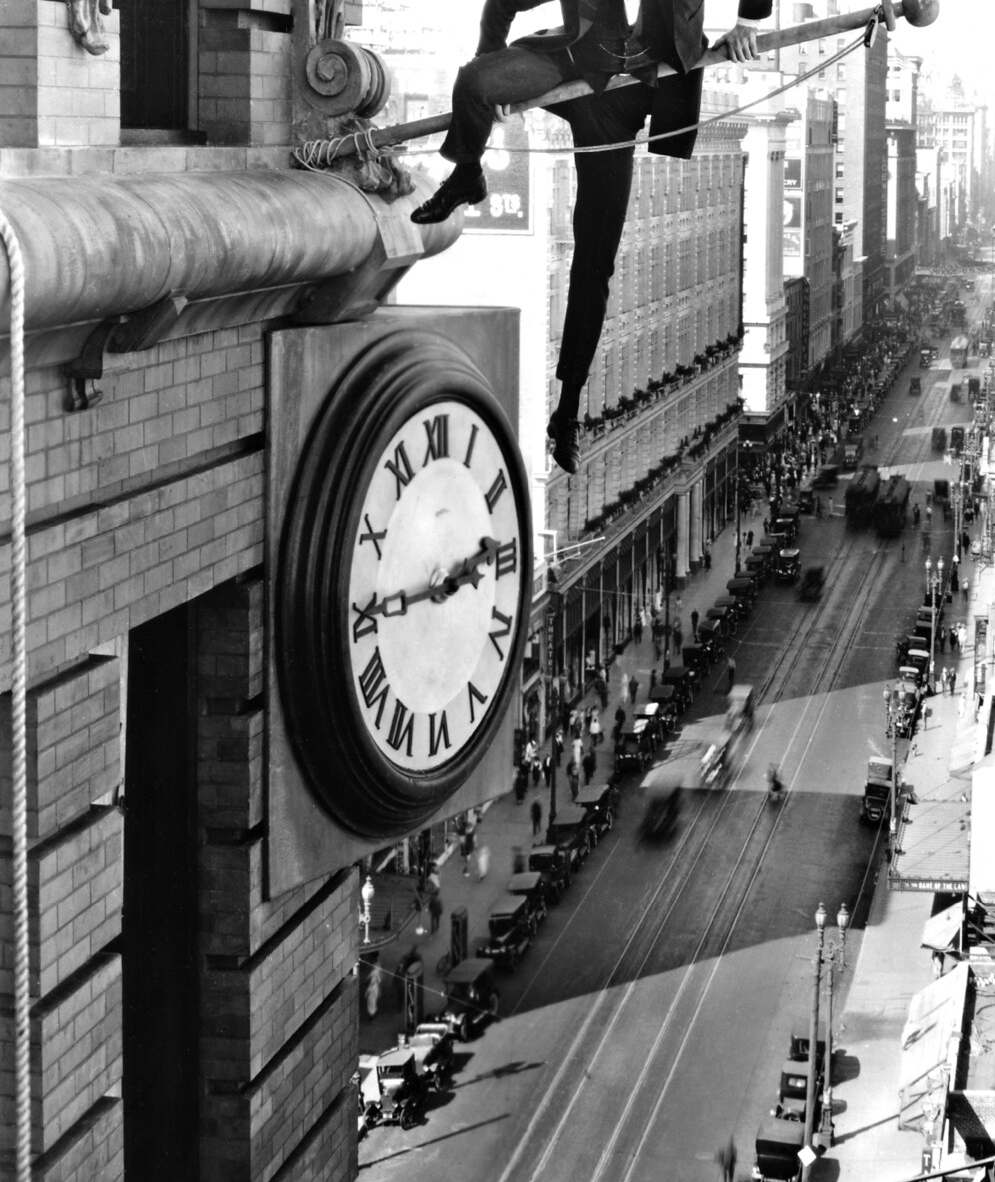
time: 2:45
